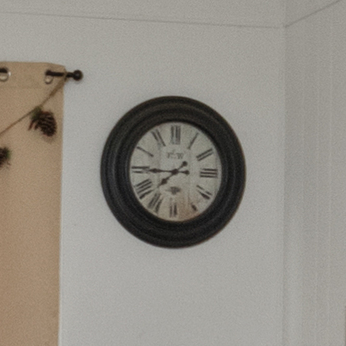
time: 7:45
